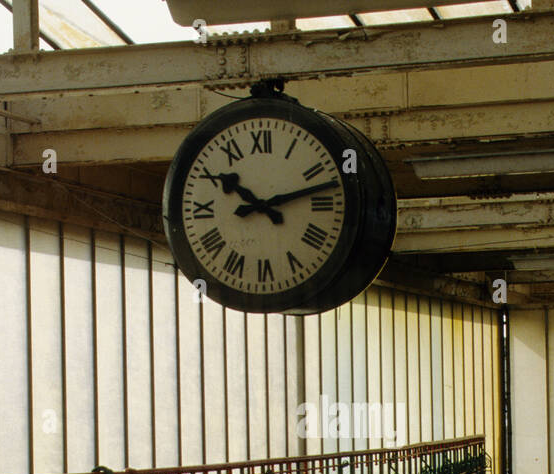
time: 10:12
